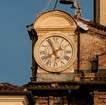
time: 7:55
